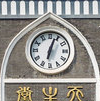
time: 6:03
